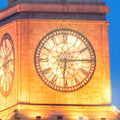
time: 6:14
